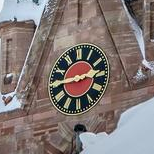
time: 2:44
